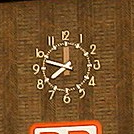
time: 7:48
